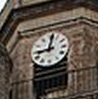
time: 9:01
